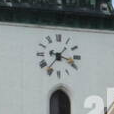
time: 7:17
